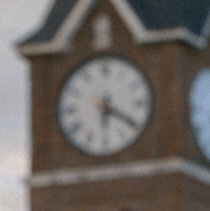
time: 6:20
